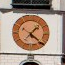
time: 1:21
